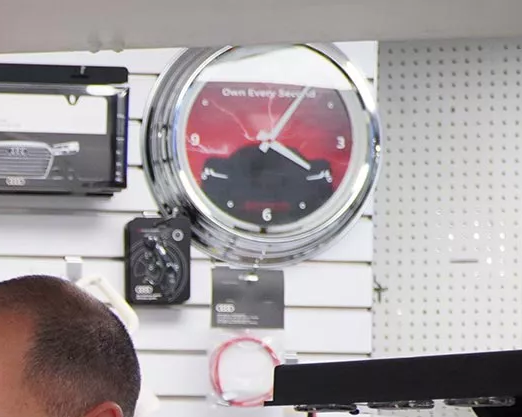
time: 4:06
